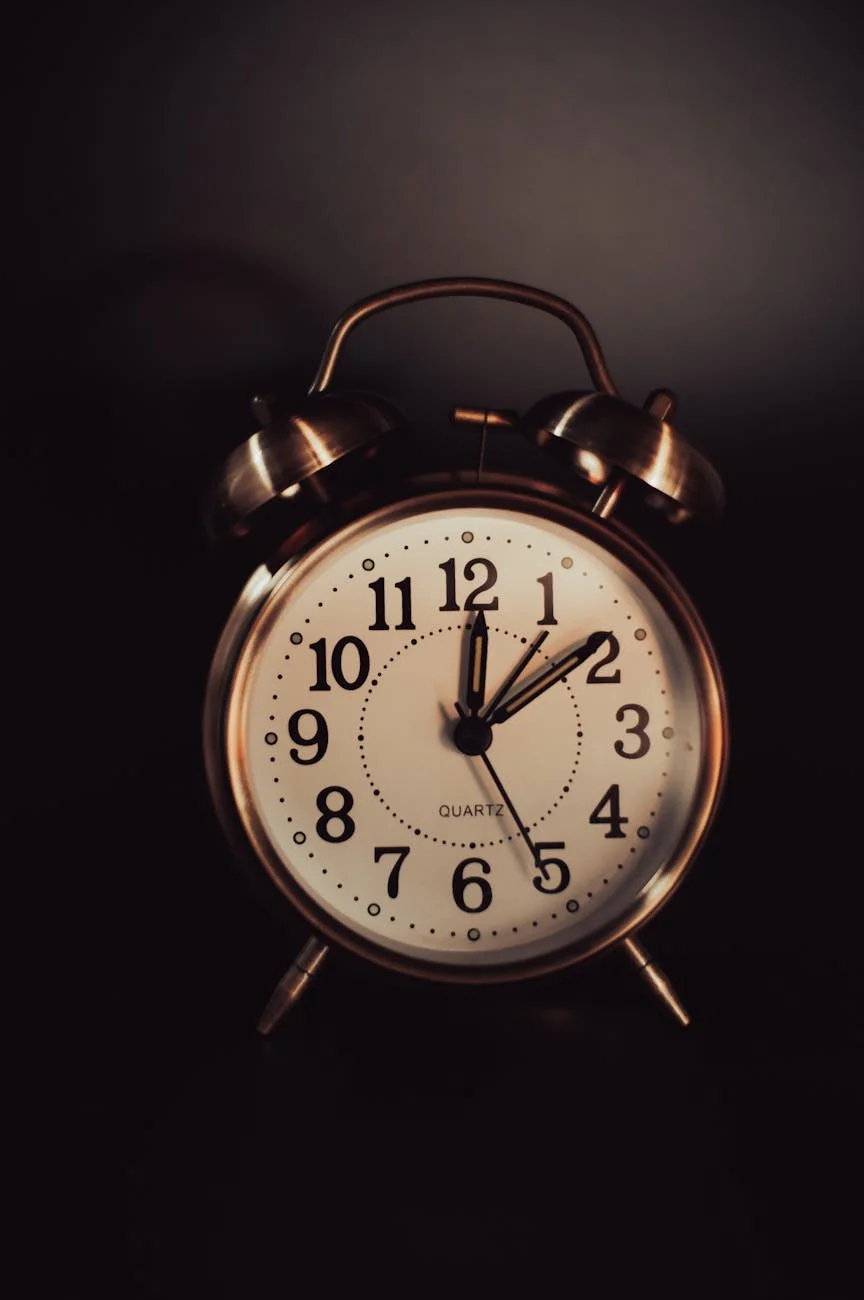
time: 12:09
